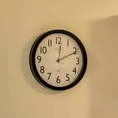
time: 12:10
